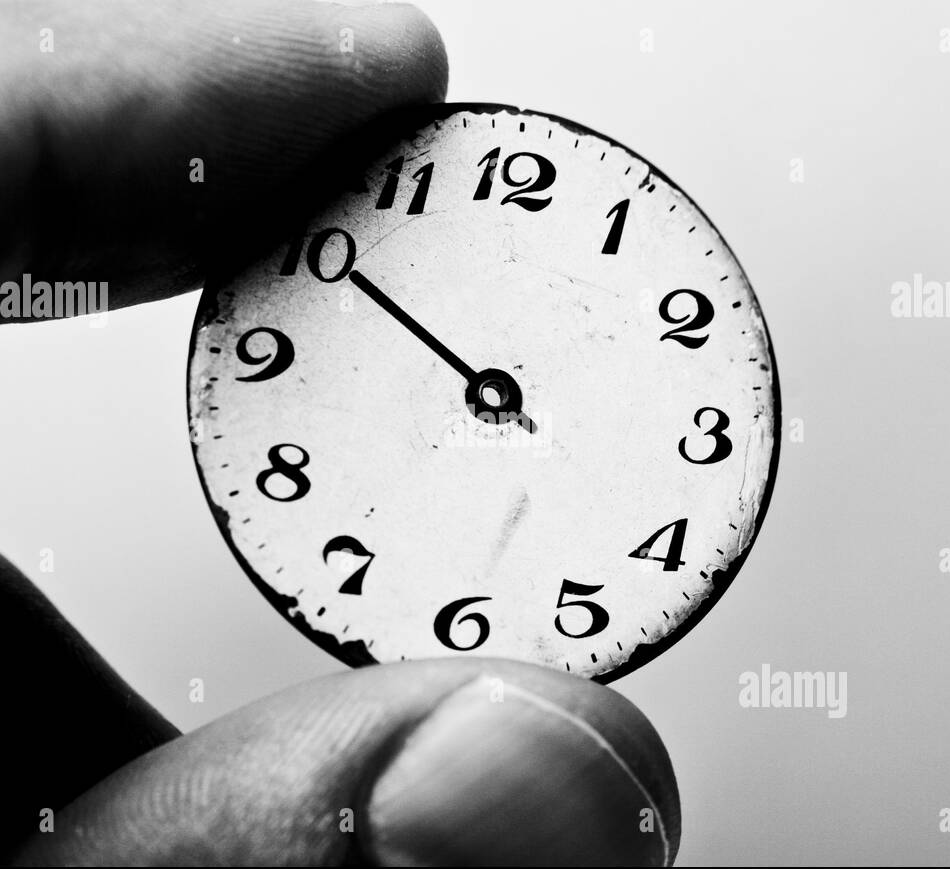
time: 9:50
